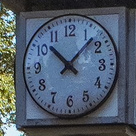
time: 10:07
